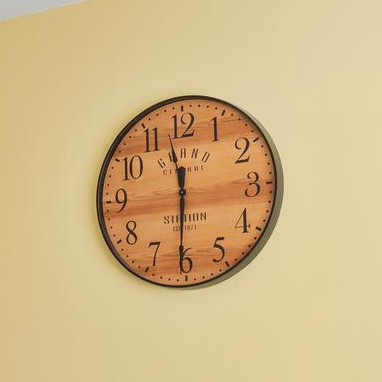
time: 11:30
